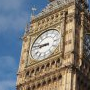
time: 8:46
